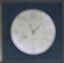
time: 8:07
